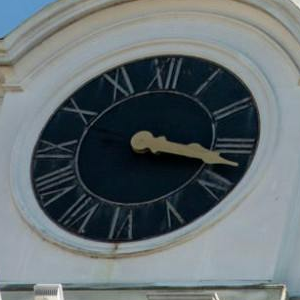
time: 3:17
